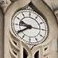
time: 9:39
